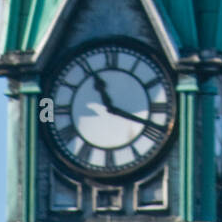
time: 11:18
